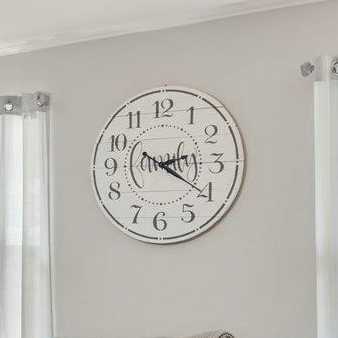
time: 2:20
